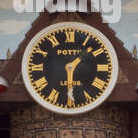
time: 1:30
